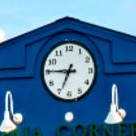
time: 6:45
